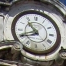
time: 10:41
